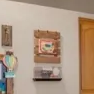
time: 3:12
